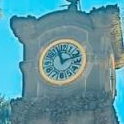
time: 11:12
